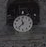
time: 11:37
